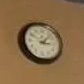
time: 3:07
